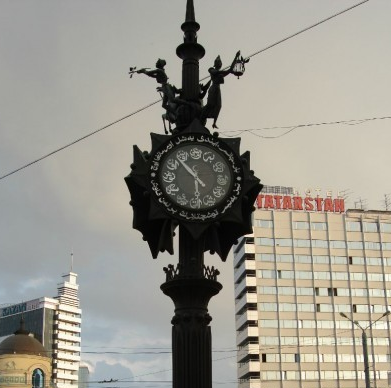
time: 5:53
